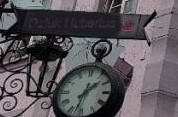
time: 1:32
